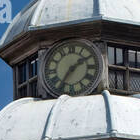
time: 1:35
